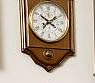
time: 1:50
